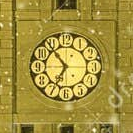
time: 6:53
